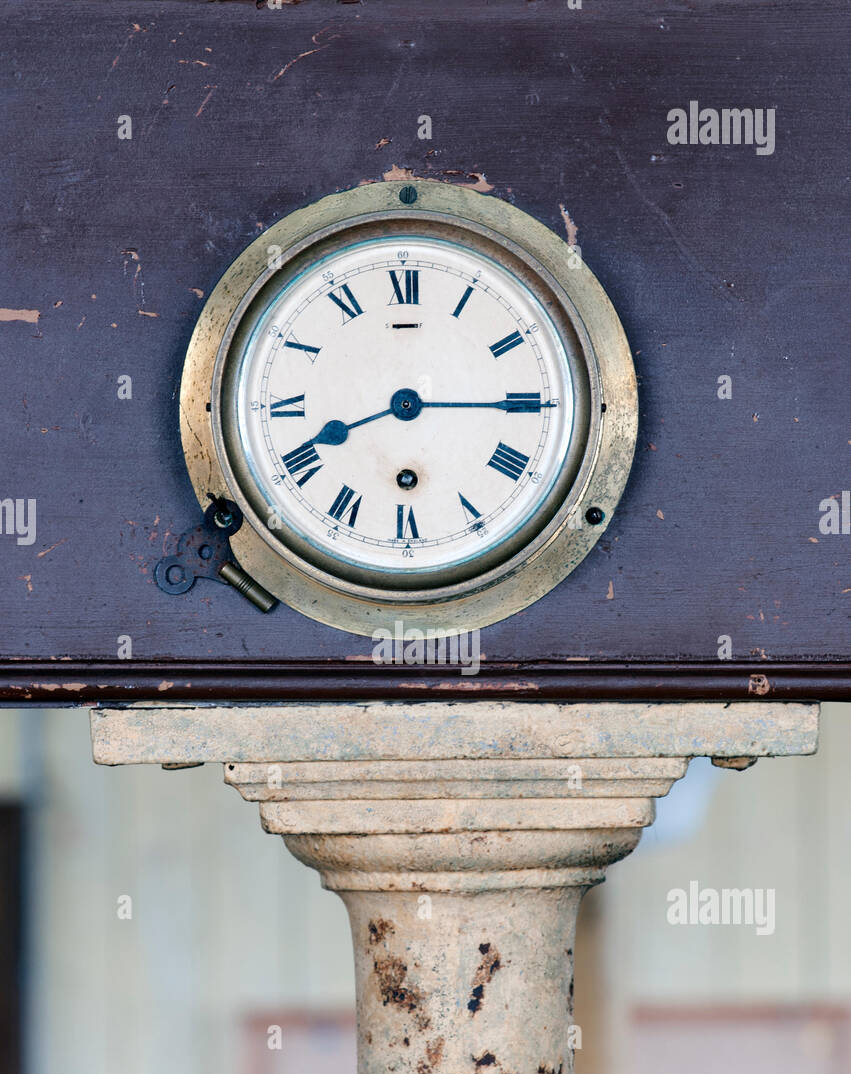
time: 8:15
